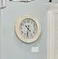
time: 4:31
